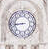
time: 8:43
